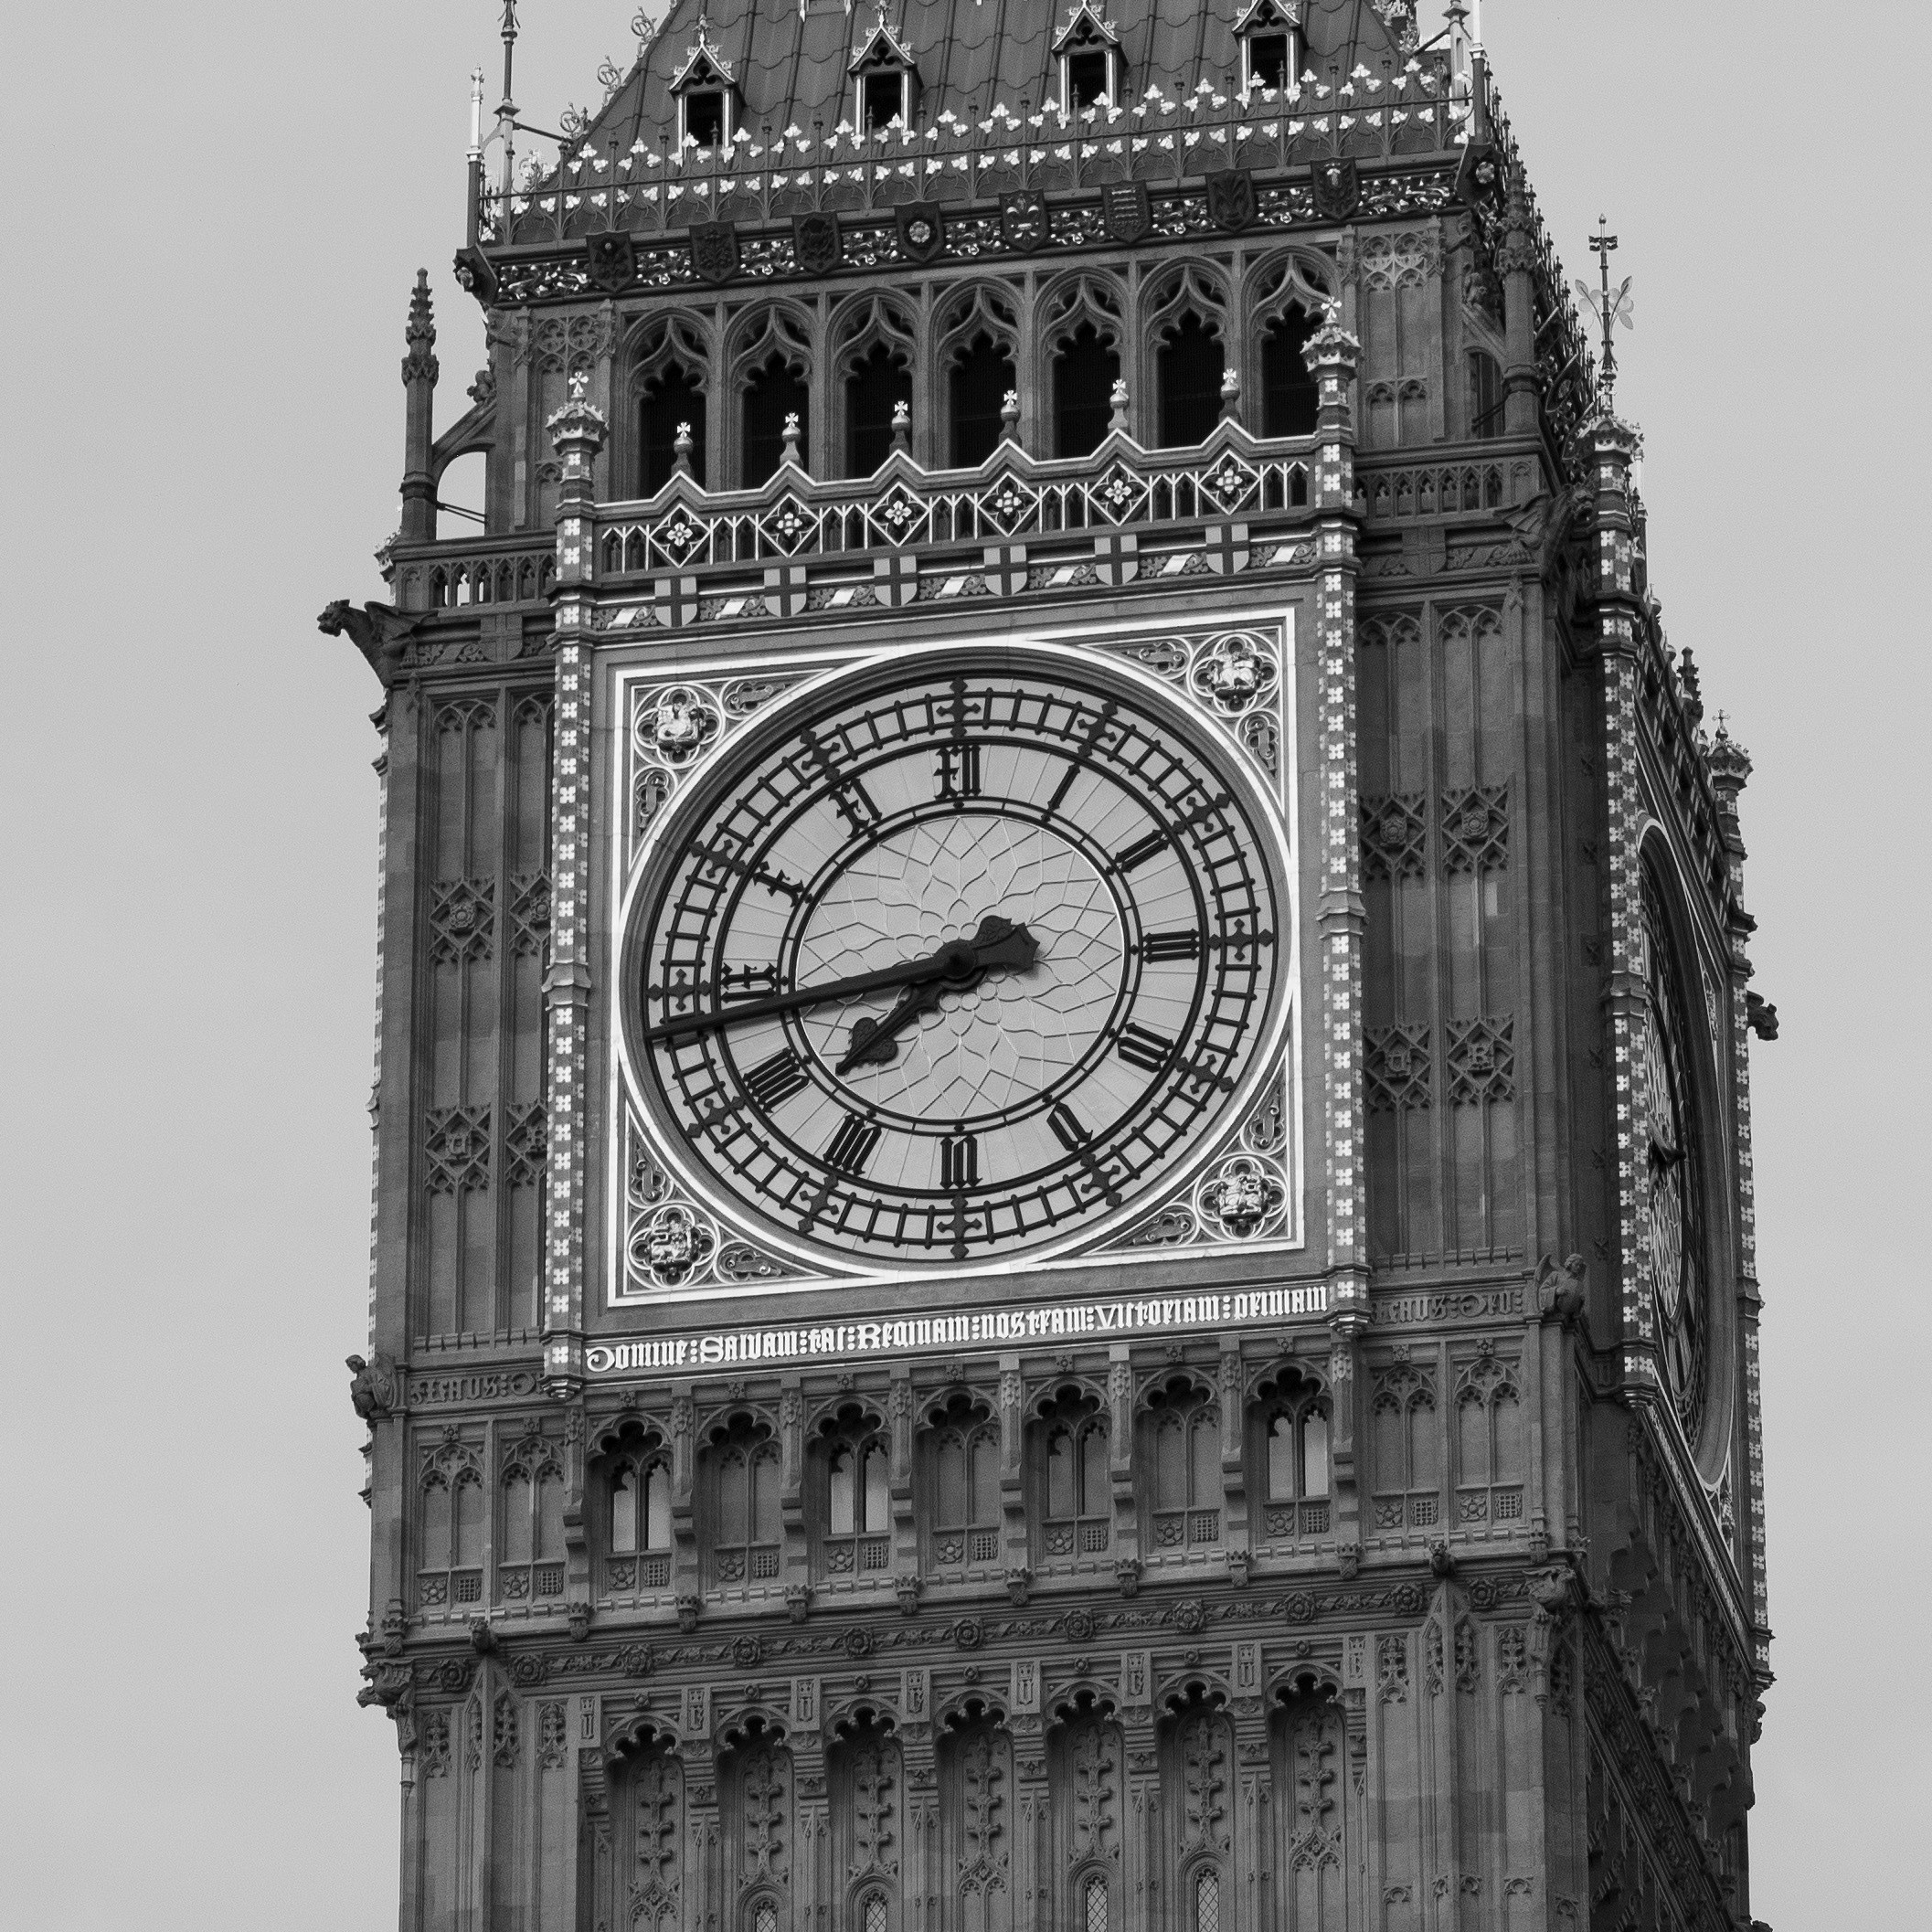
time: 7:43
